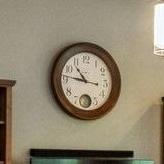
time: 10:46
